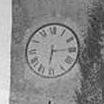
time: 6:14
